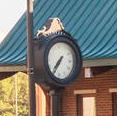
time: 7:36
